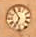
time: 6:54
